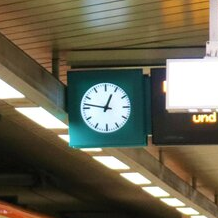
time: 12:46
